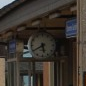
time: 5:40
